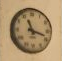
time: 11:18
